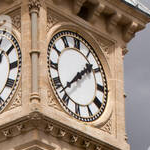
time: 1:37
